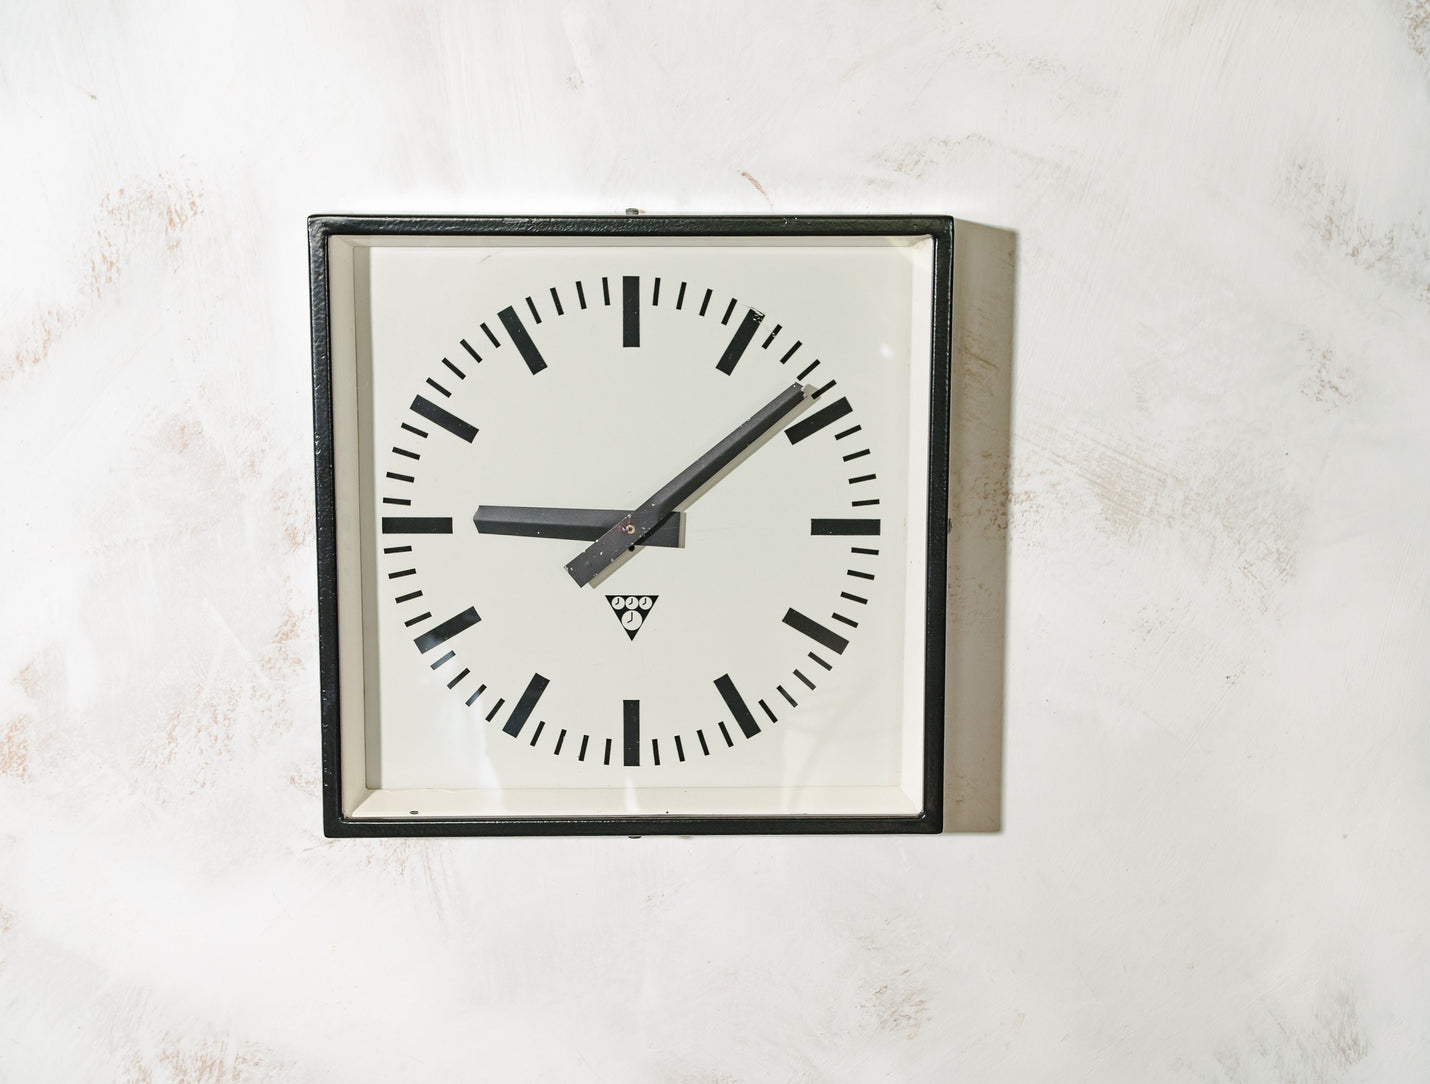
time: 9:08
